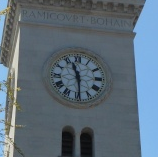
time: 11:29
